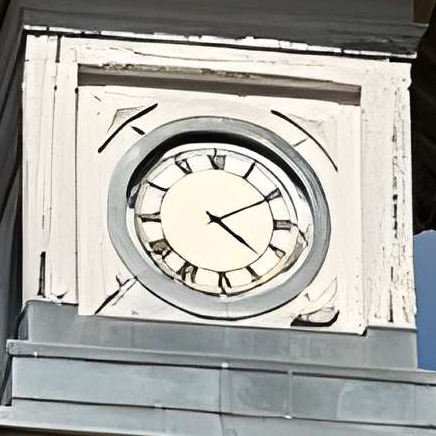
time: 4:10
